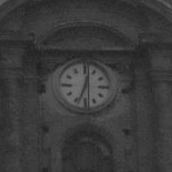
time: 12:33
